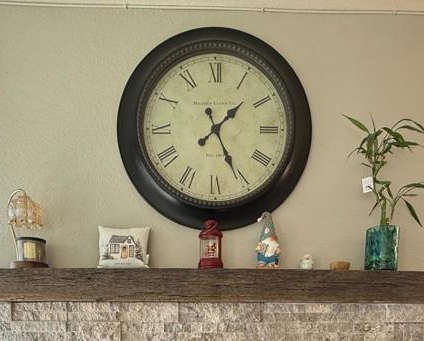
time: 1:25
